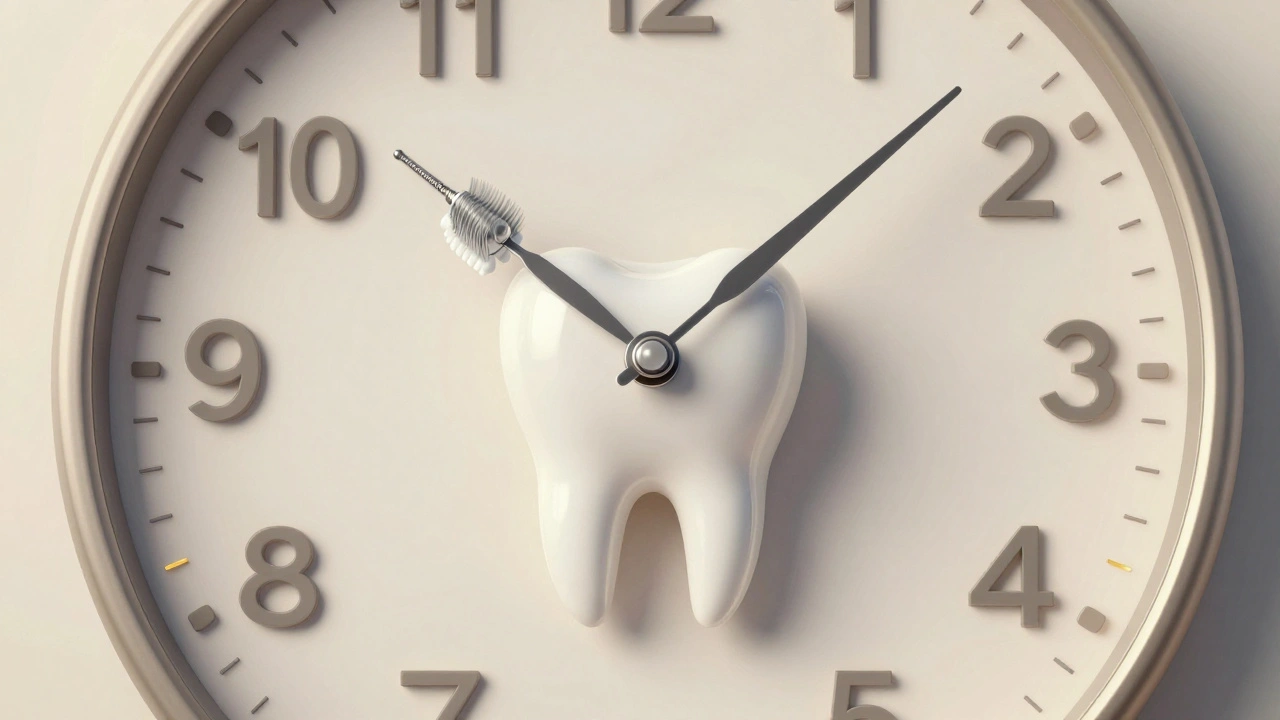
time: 10:07
